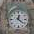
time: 12:21
